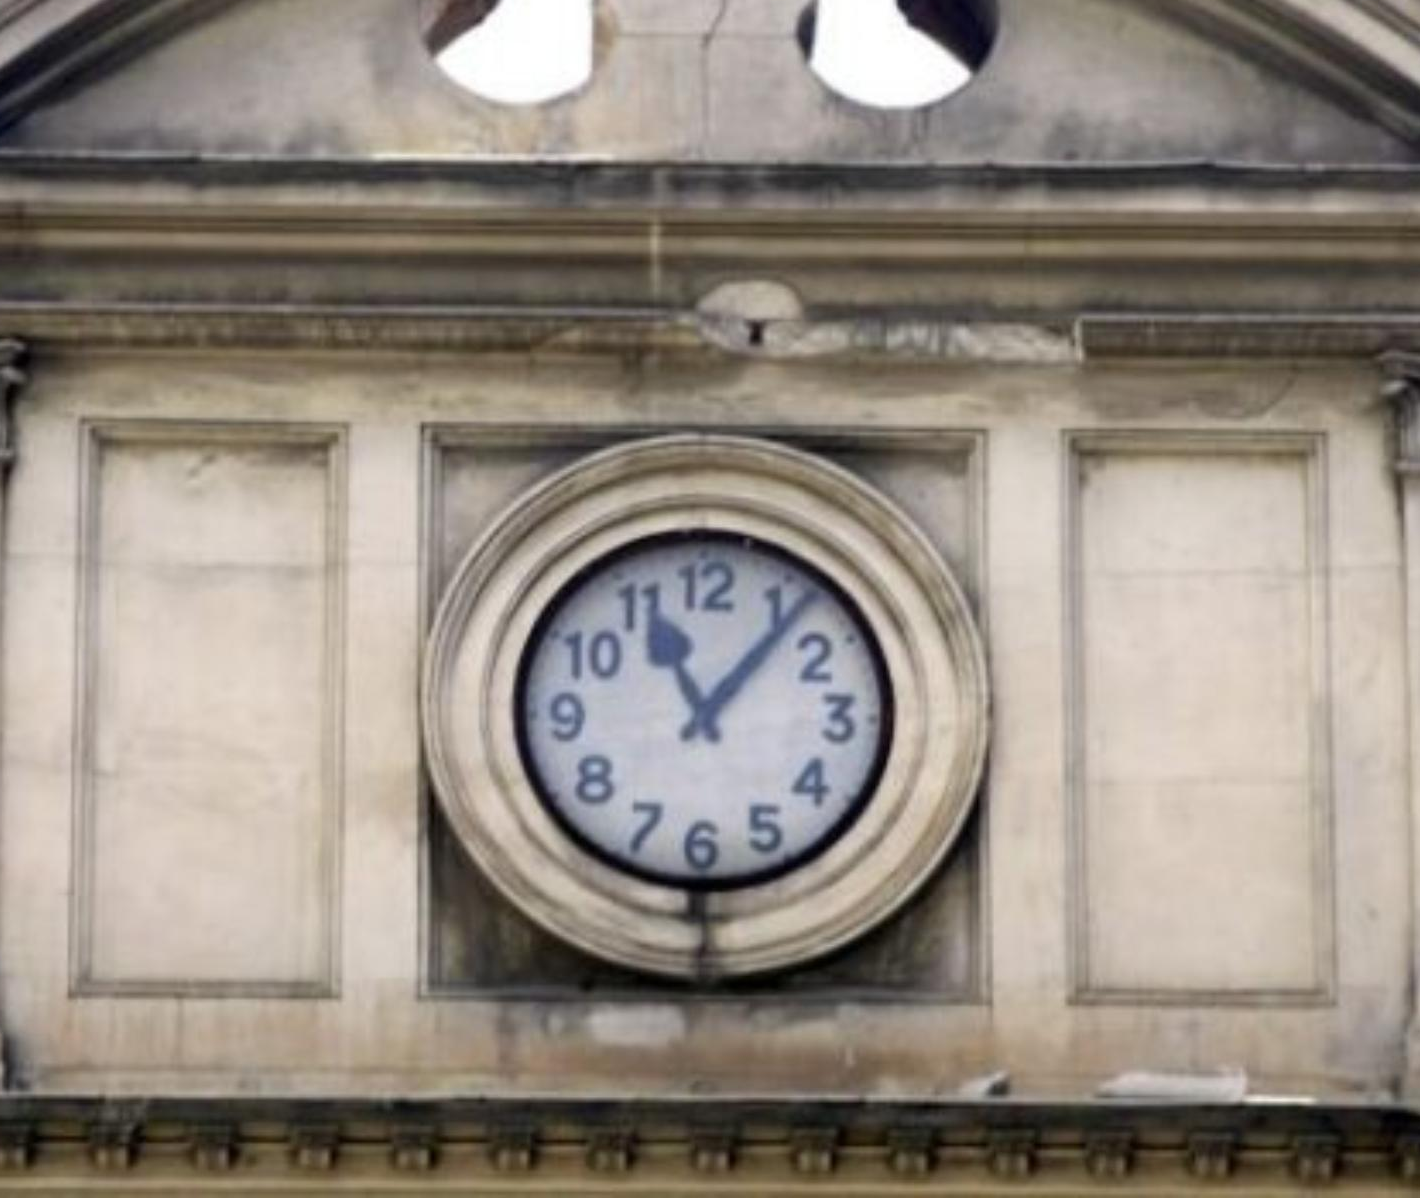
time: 11:06
